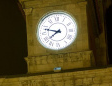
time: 7:47
